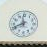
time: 11:41
